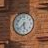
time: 5:37
